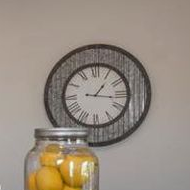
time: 1:16
